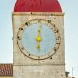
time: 6:01
